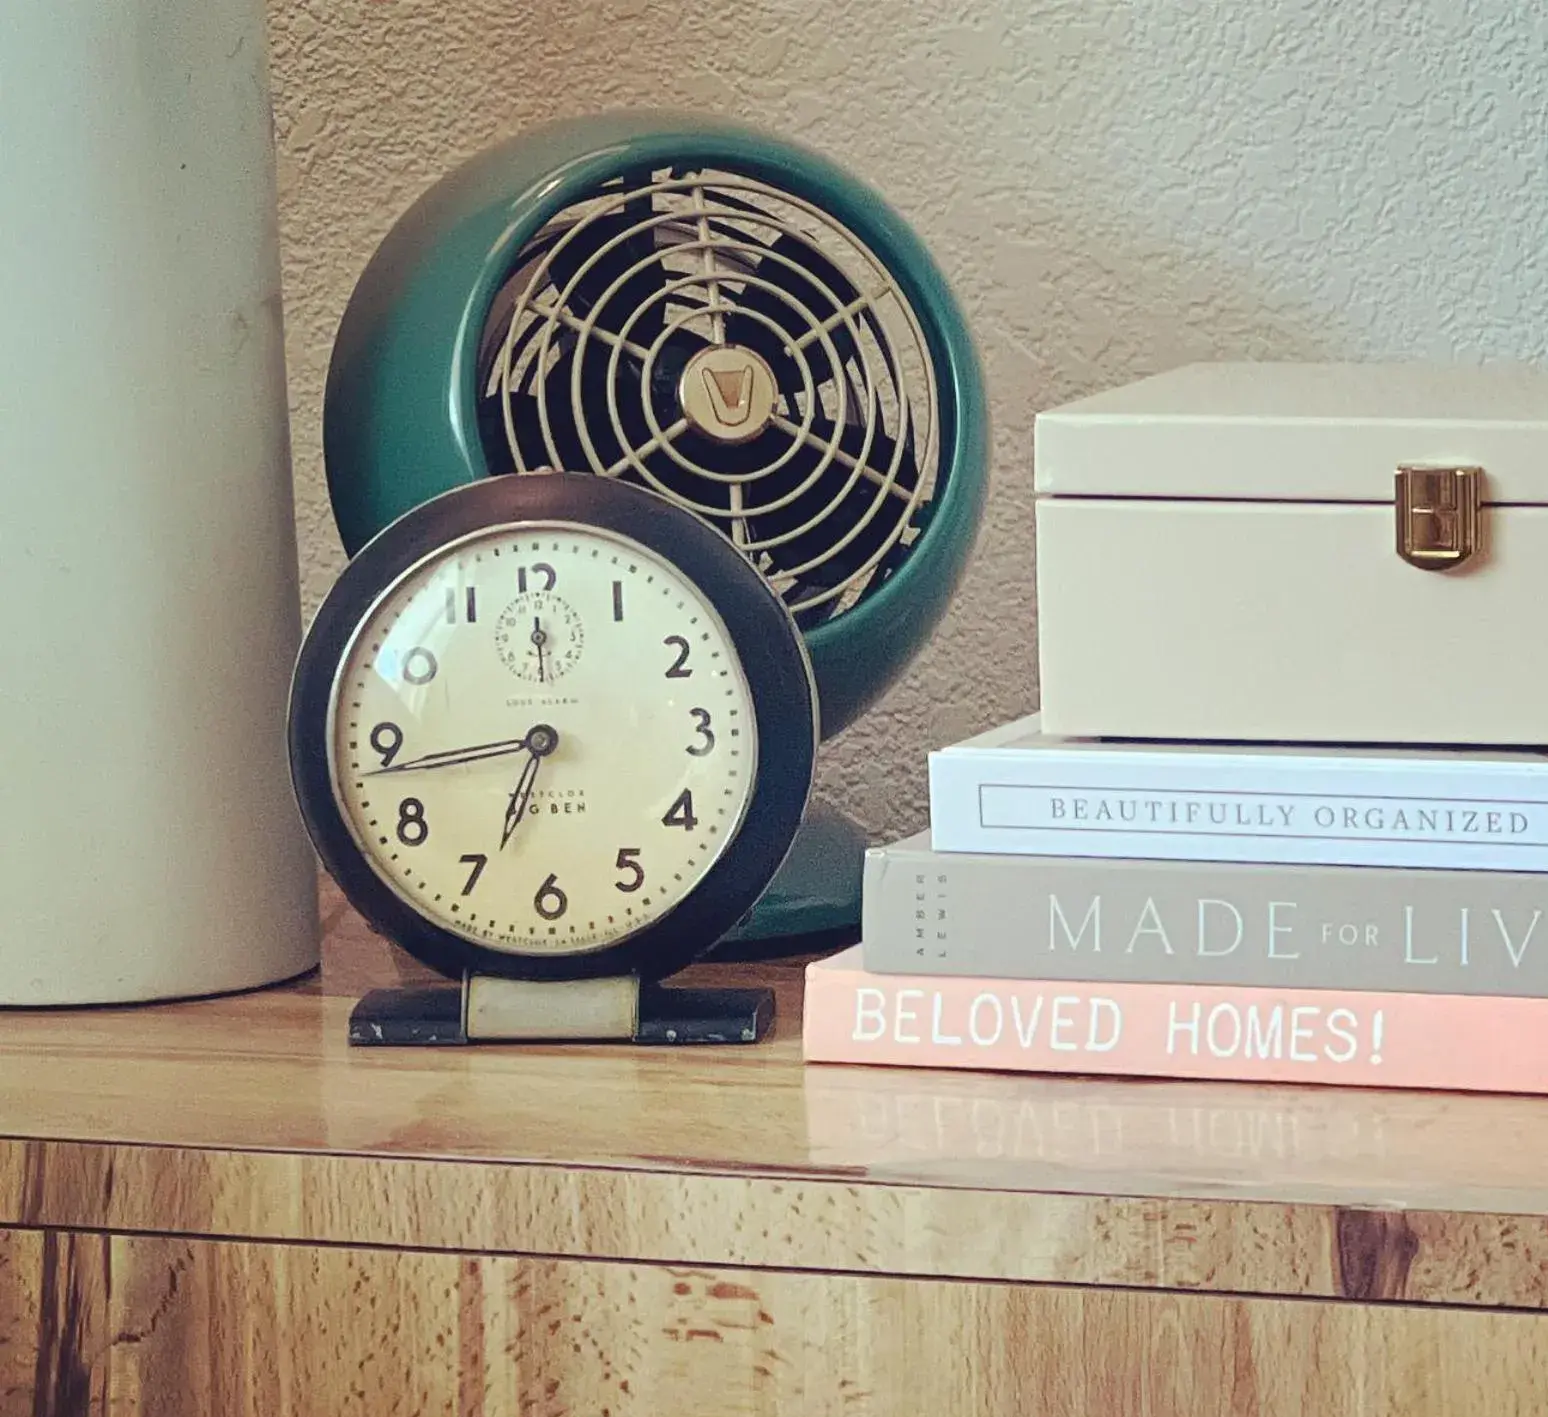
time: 6:43
